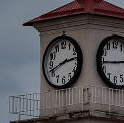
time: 2:41
